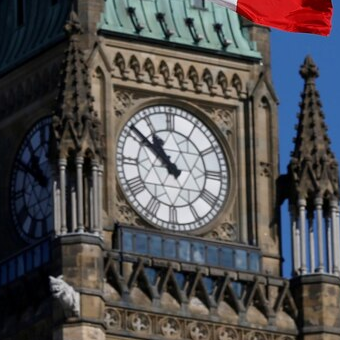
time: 10:51
